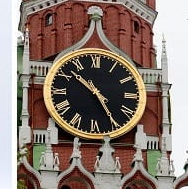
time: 10:24
